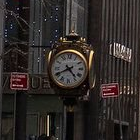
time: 4:40
